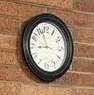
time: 8:57
